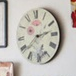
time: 2:38
